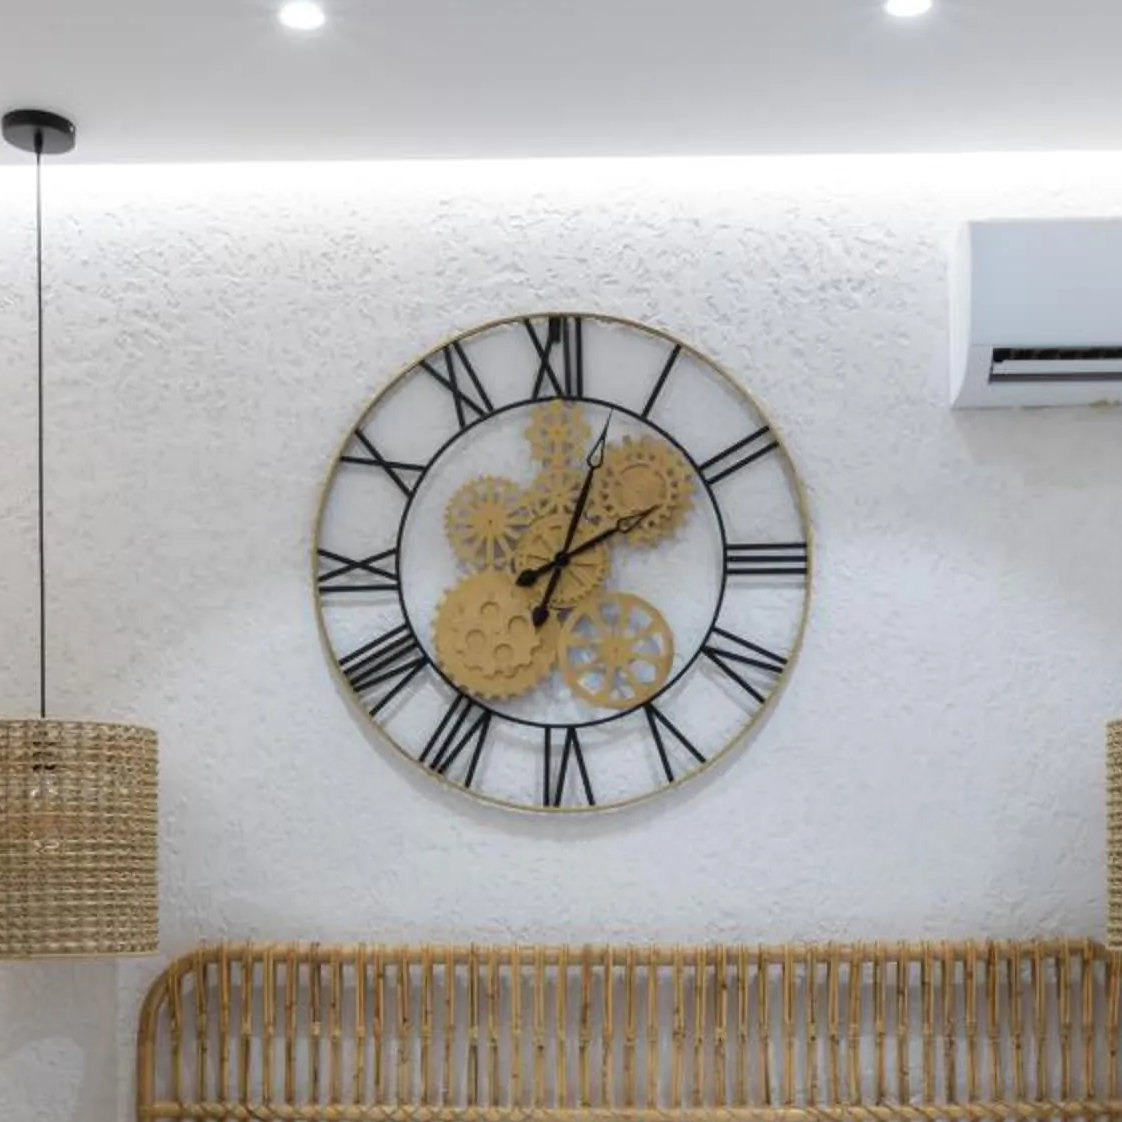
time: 2:03
